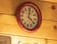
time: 4:01
